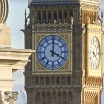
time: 4:00
